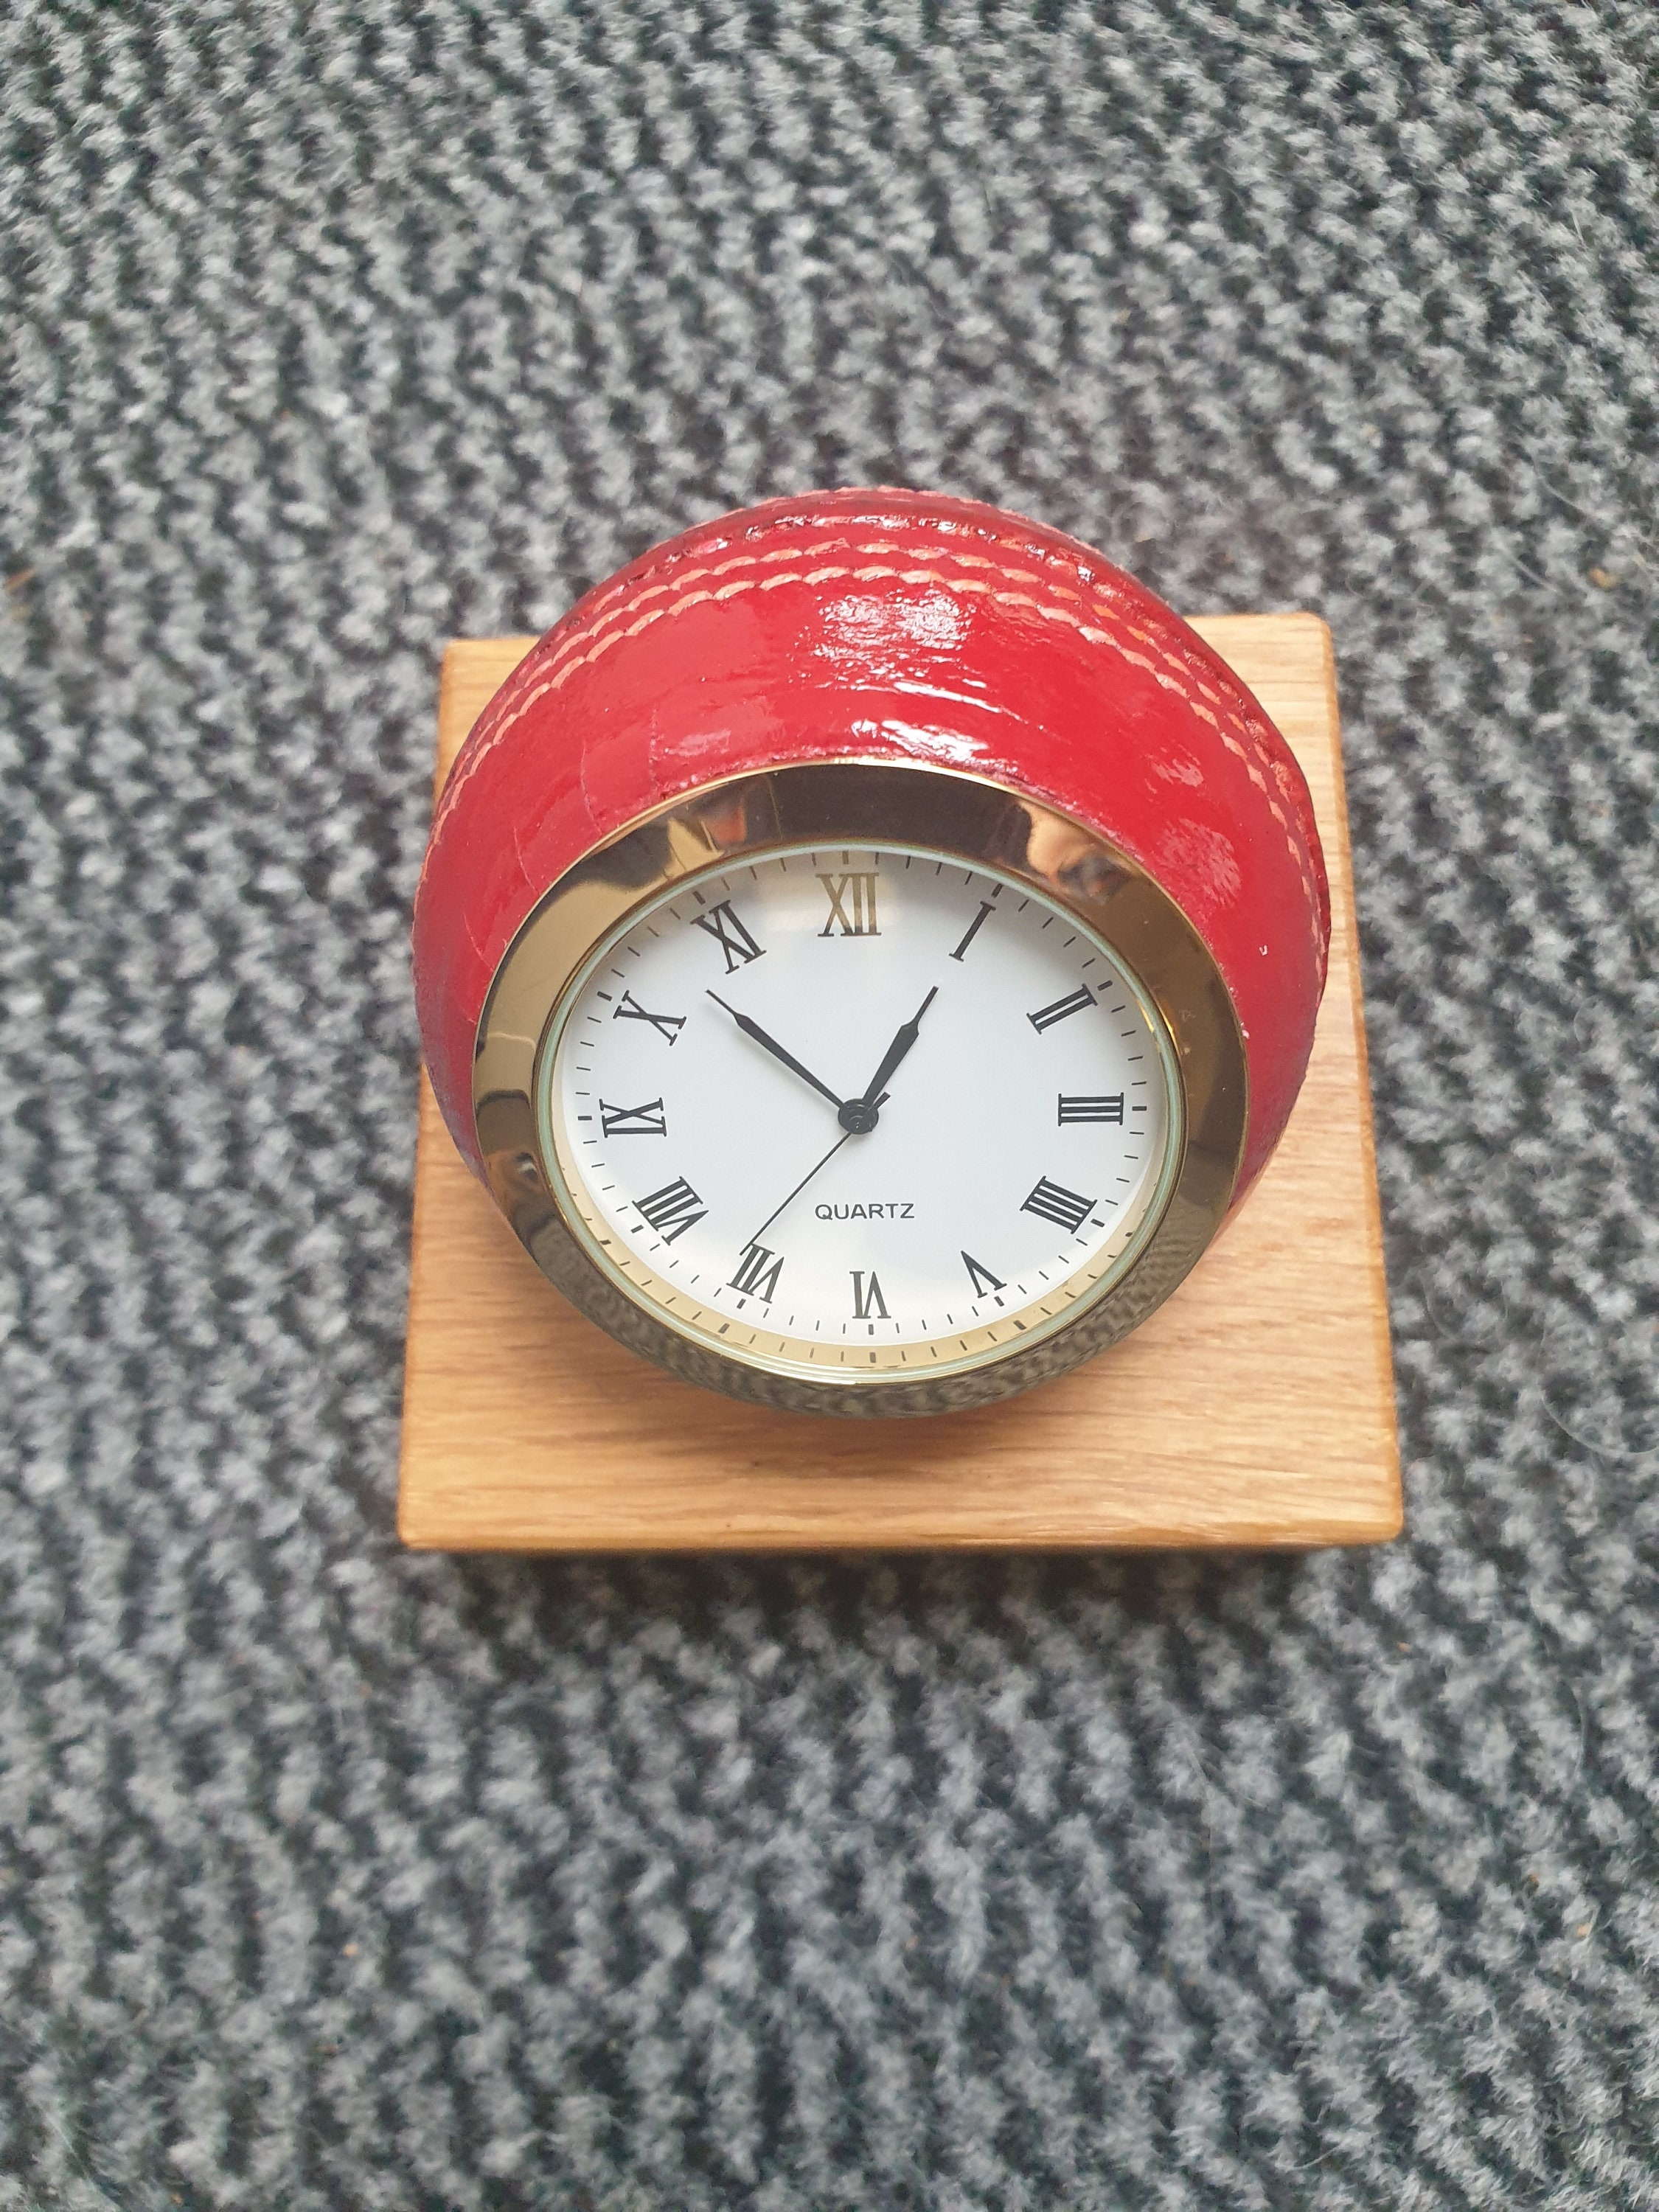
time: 12:52
